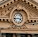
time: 3:43
